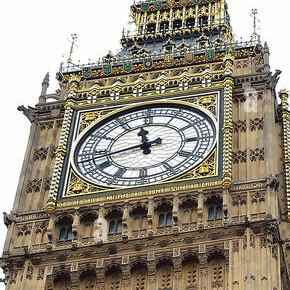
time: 11:42
